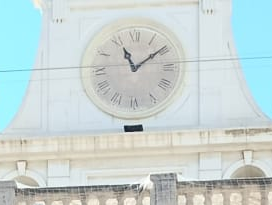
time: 11:09
